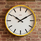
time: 10:09
